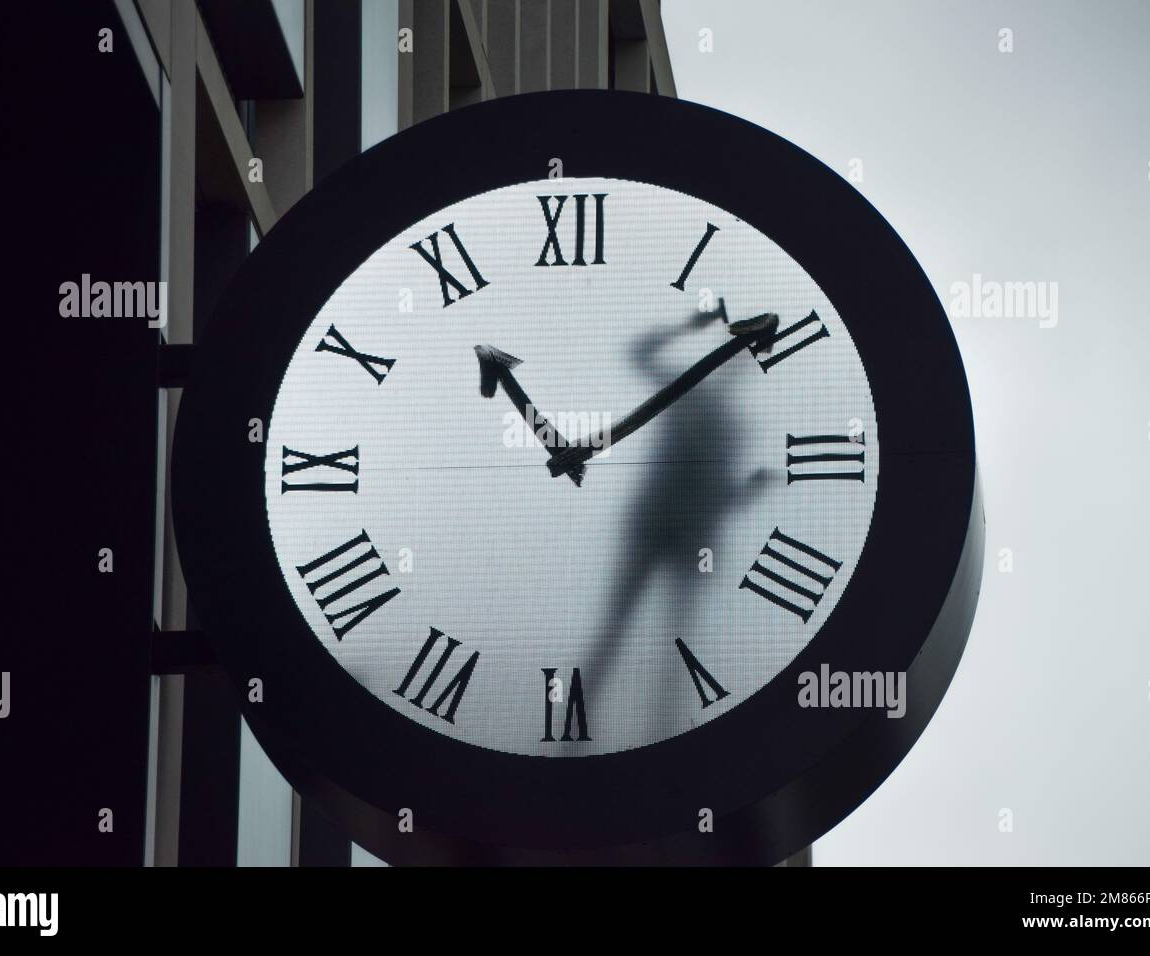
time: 11:08
